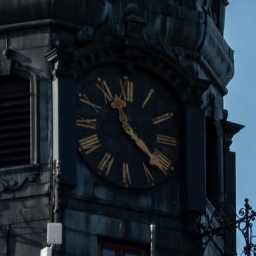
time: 11:21
